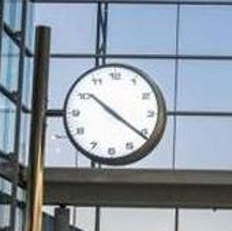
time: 10:20
